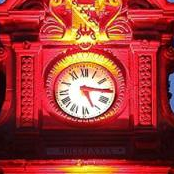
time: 5:15
